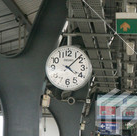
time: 4:07
